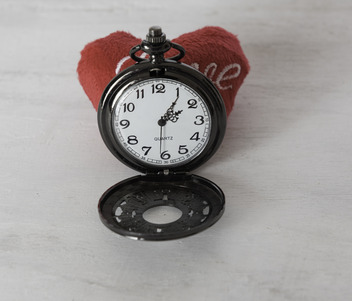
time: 2:05
